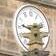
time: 9:12
